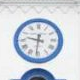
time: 9:31
